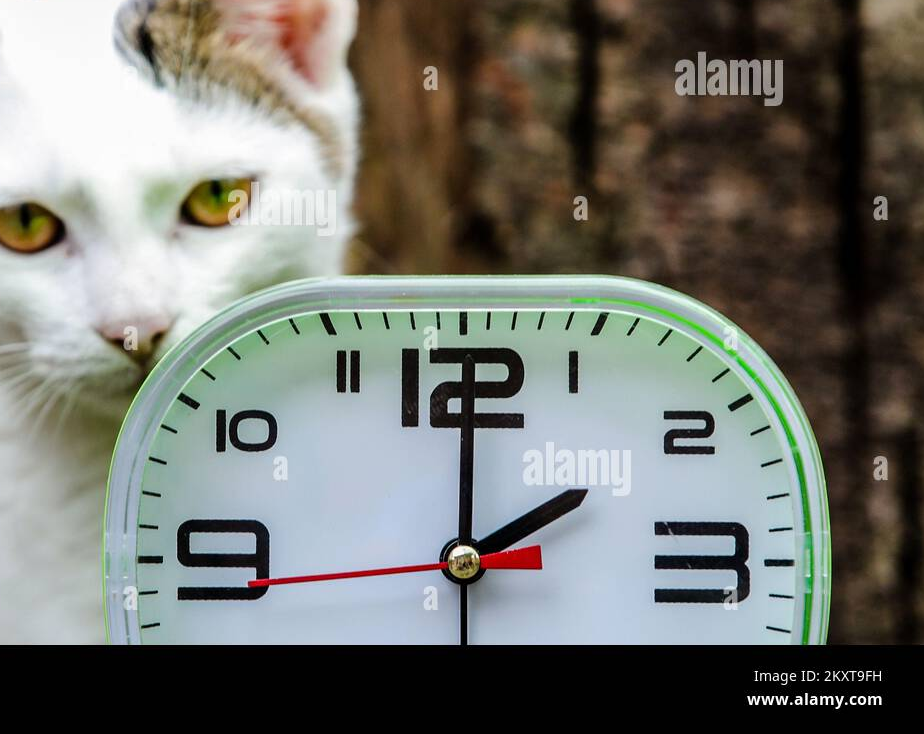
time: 2:00
